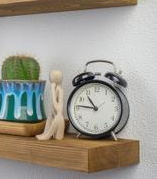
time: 10:46
